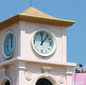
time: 12:06
